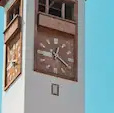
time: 12:20
